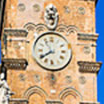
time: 7:54
